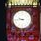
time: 9:43
